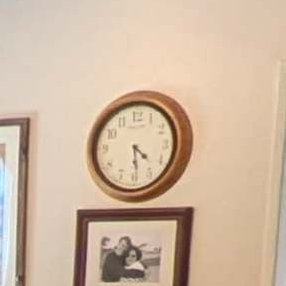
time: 4:28
